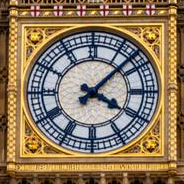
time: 4:07
